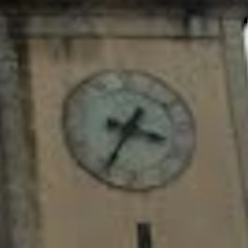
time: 3:35
